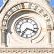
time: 7:18
